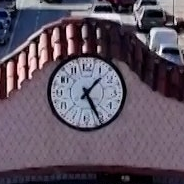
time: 1:25
